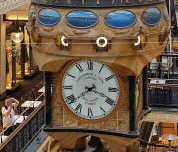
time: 3:38
